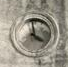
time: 3:58
